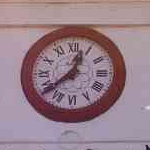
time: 12:38
